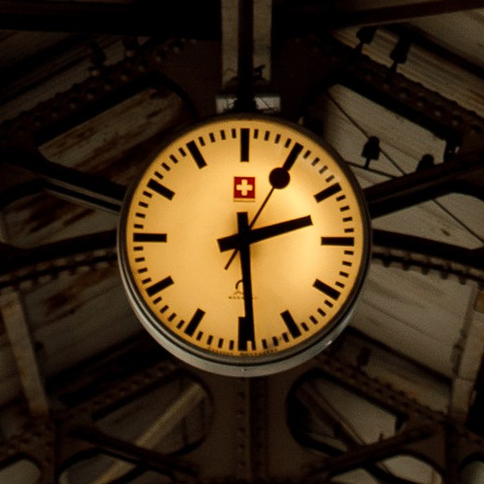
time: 2:29
